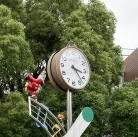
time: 3:22
